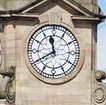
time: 11:40
